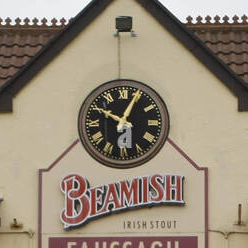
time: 10:04
